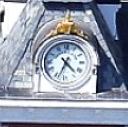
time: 4:33
